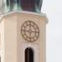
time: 6:14
